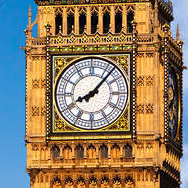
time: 8:07
